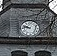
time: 9:47
